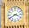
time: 3:40
